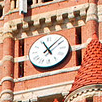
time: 11:07
